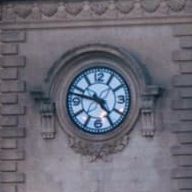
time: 4:47
